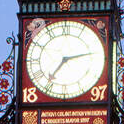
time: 7:12
